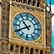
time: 10:40
